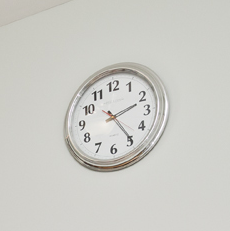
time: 2:24
